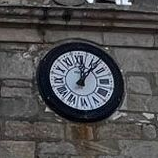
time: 12:06
